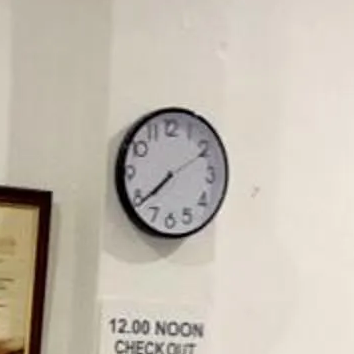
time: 7:38
